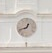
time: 12:41
